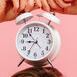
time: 8:53
